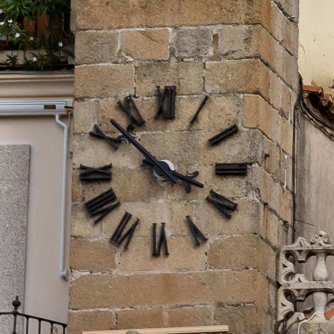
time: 3:52
